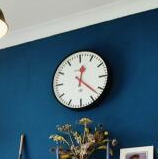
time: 12:22
